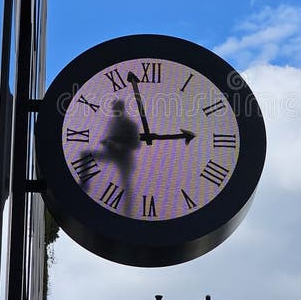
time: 2:57
